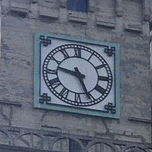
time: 9:26
